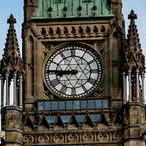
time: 8:45
